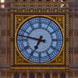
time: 6:47
